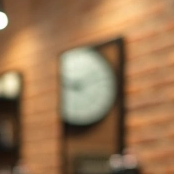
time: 9:12
